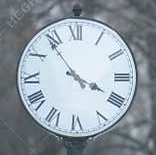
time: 3:53
